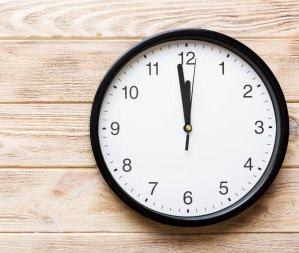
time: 11:58
